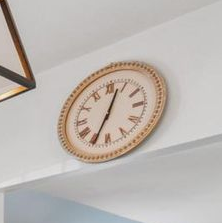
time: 12:34
